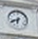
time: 6:41
